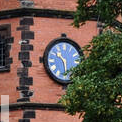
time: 10:28
